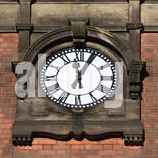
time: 12:04
